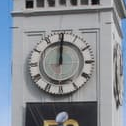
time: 12:00
